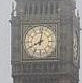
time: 8:01
